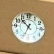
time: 10:34
